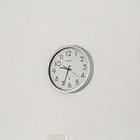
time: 9:34
